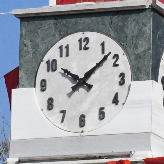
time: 10:07
